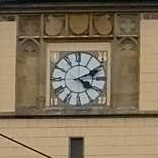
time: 4:10
